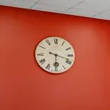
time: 6:18
